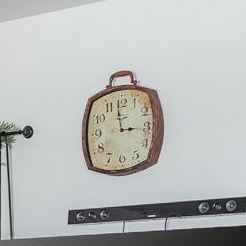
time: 2:58
